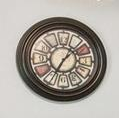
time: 7:07
